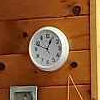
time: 12:48
